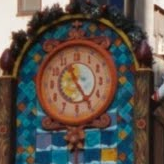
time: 11:24
